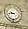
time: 9:42
